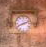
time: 8:11
